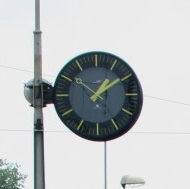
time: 1:09
